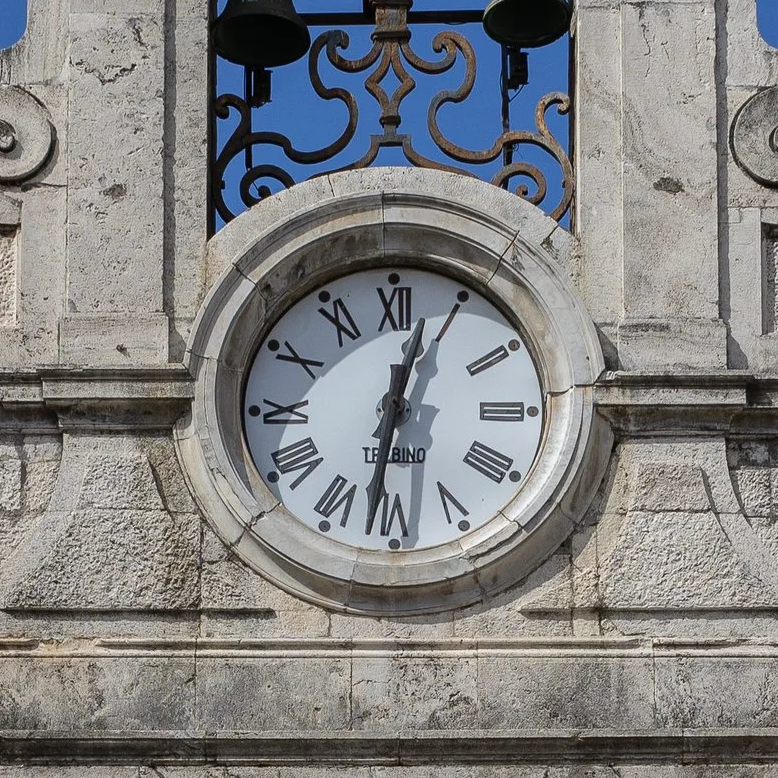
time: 12:31
